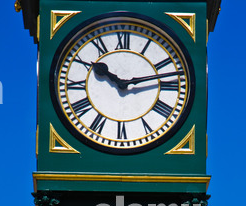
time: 10:12
